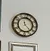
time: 11:23
